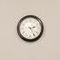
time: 2:25
